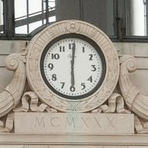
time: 6:00
